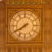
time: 7:40
